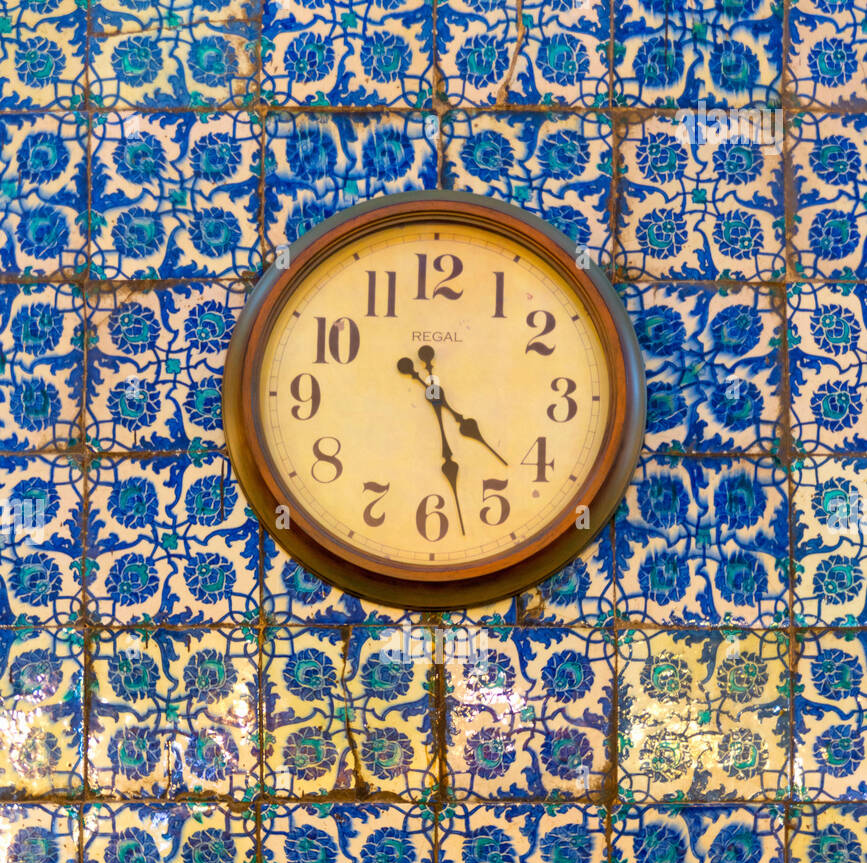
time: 4:27
